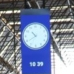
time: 10:39
